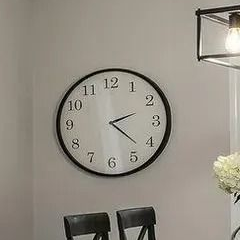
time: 2:21
